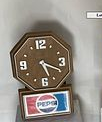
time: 5:19
